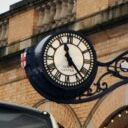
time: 11:22
